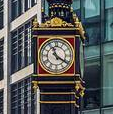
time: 11:20
